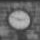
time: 2:48
